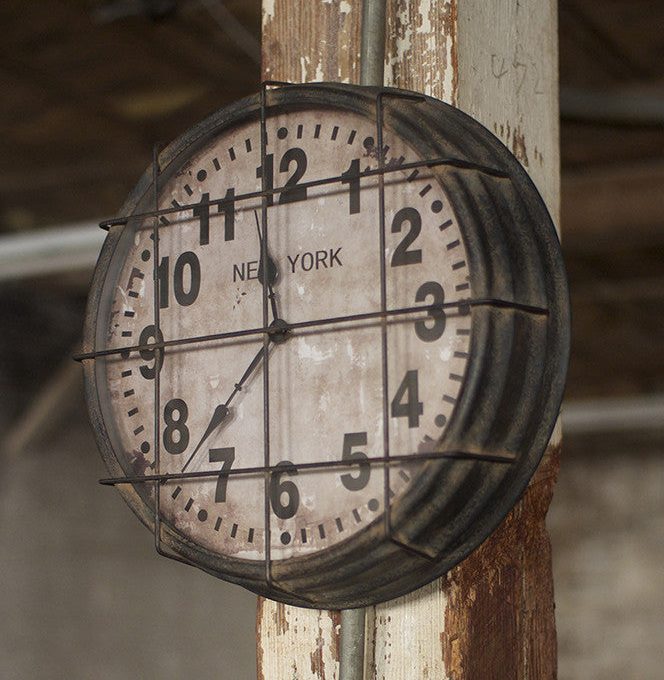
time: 11:37
